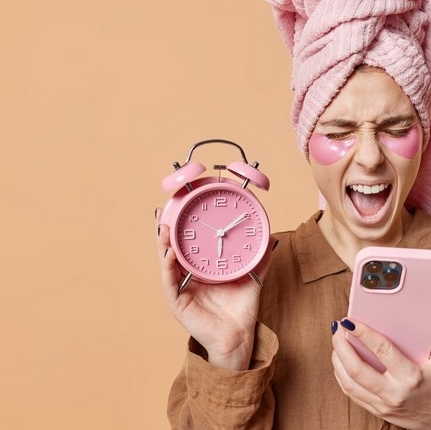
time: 2:09
